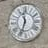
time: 11:33
